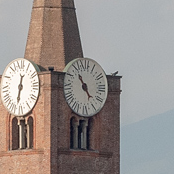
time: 4:54
